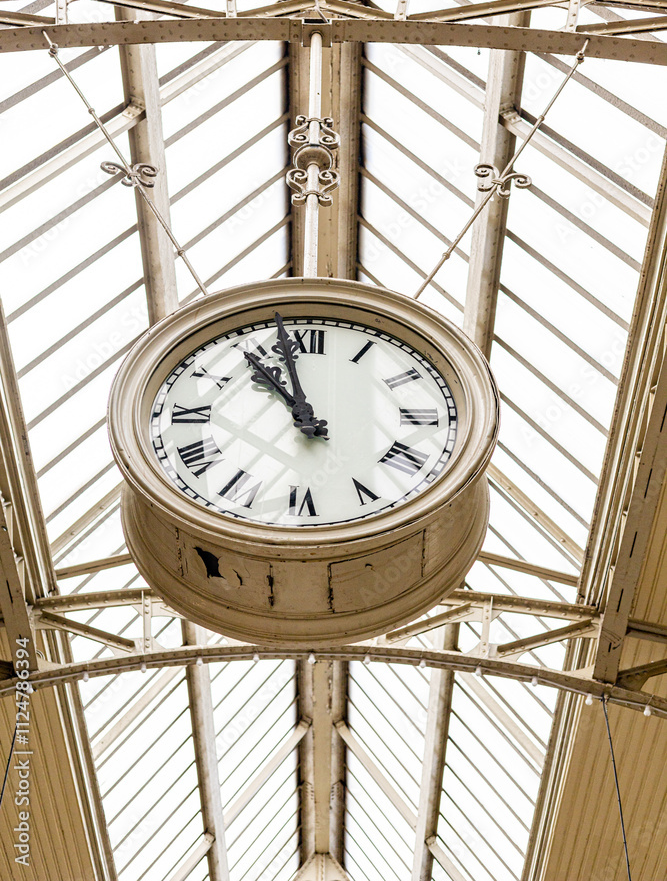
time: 10:58
